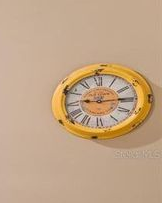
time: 9:14
